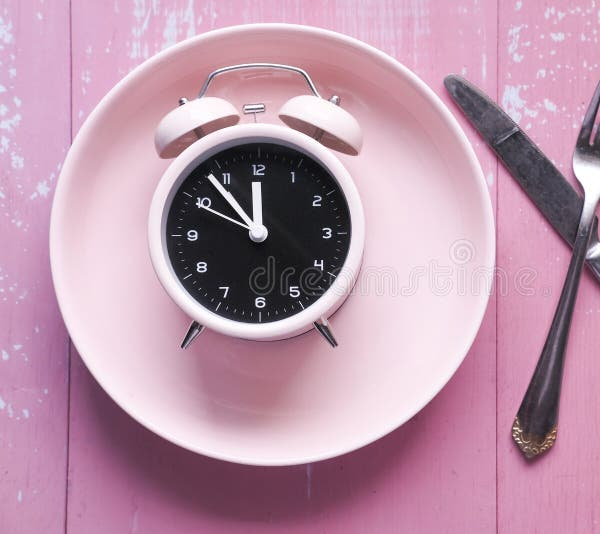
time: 11:53
